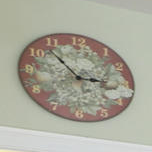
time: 2:53
